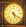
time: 5:21
